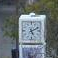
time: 5:10
